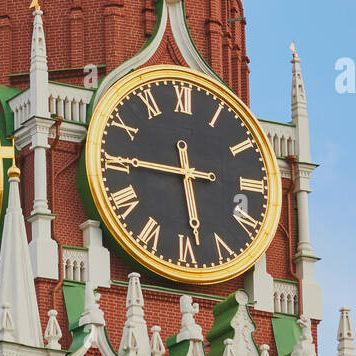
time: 5:45
